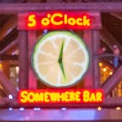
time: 12:27
